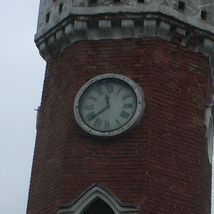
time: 11:38
